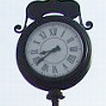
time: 8:38
